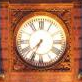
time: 7:34
